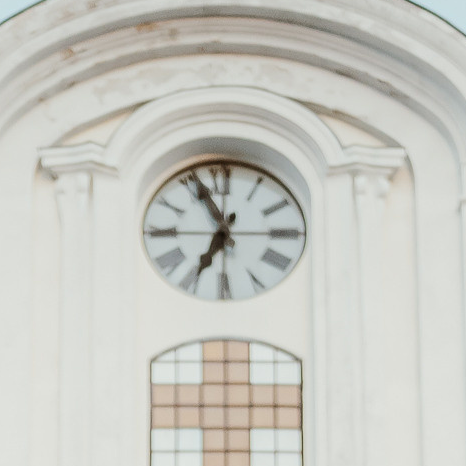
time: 6:55
